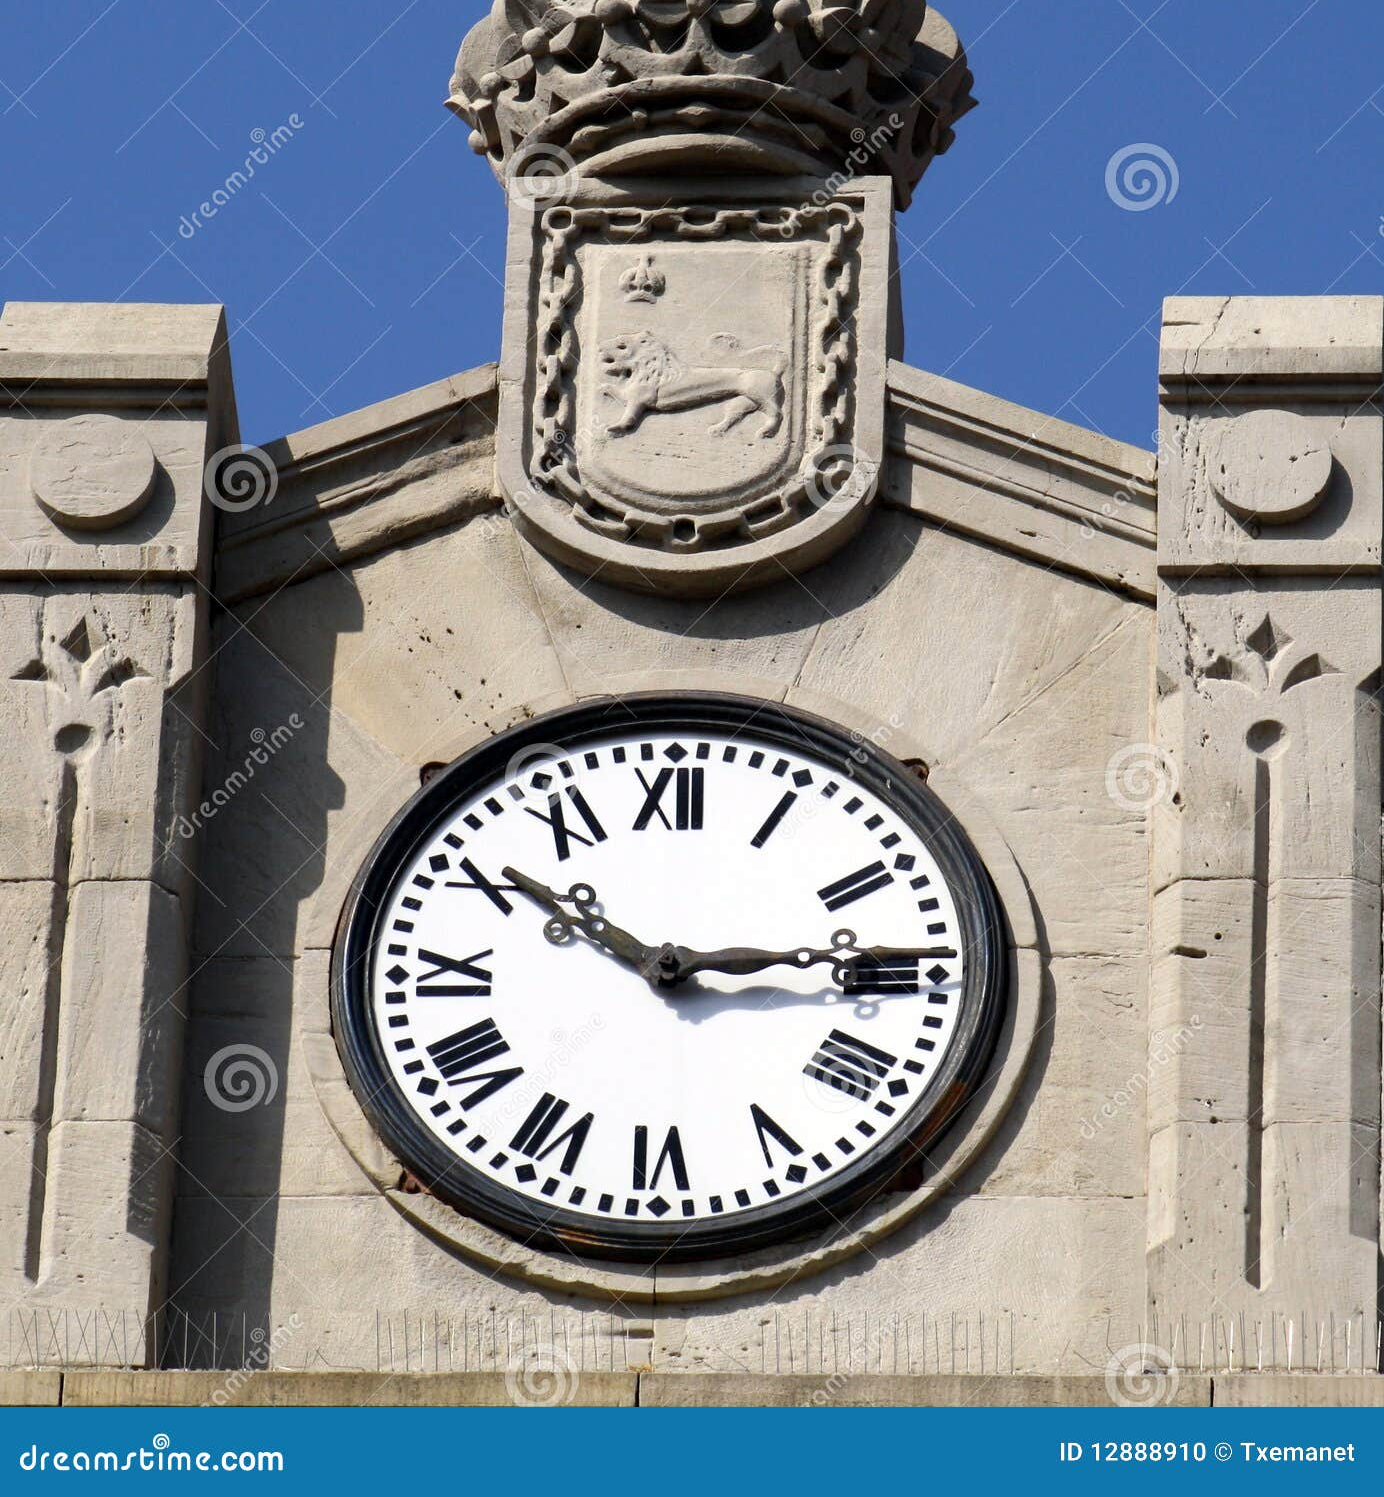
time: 2:50
